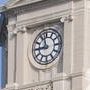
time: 8:57
